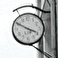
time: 3:50
